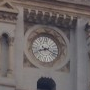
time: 8:19
